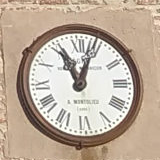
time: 11:03
